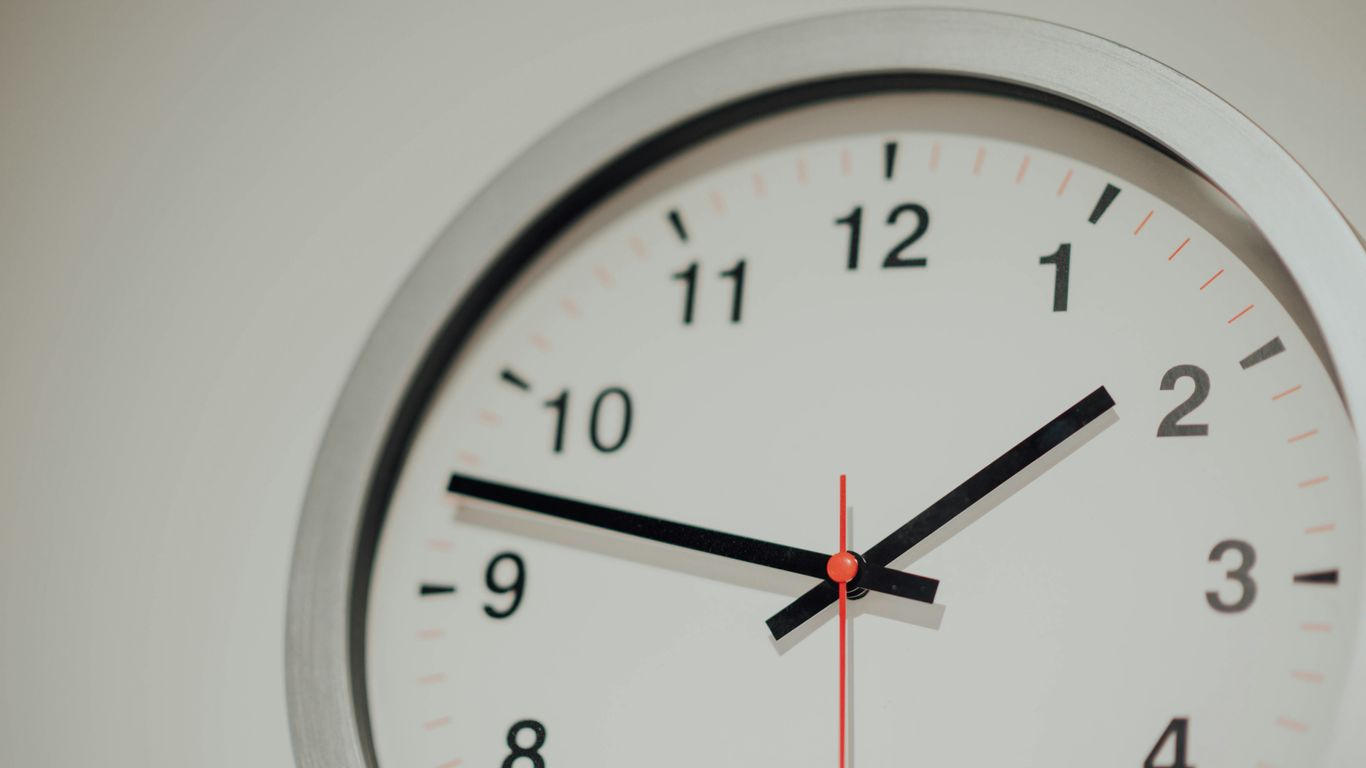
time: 1:47
